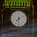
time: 7:30
